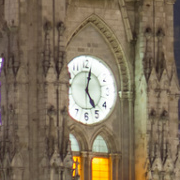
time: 5:02
